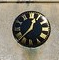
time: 12:37
